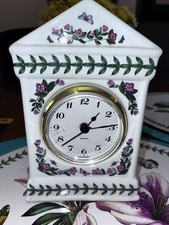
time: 1:14
